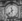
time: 11:37
